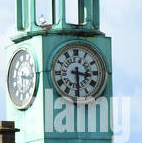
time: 3:29
